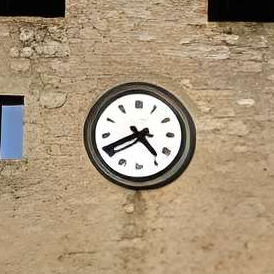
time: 4:40
